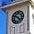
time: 4:50
